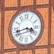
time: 3:42
